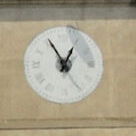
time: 12:55
